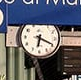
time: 6:19
